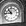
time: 10:45
